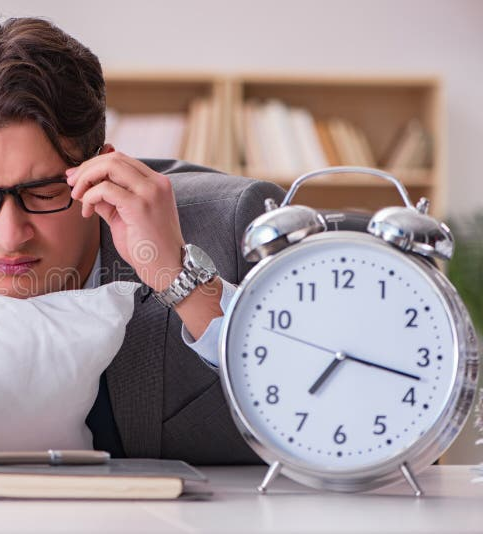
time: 7:17
